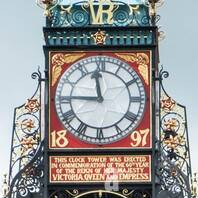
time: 11:45
